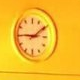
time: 9:09
